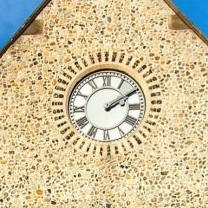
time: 2:09
